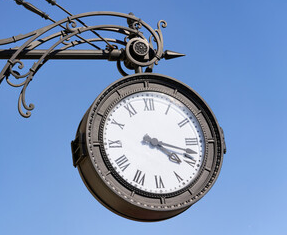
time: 4:17
